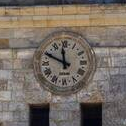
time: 11:49
